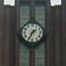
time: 1:34
